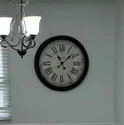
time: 11:07
